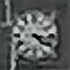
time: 4:16
